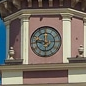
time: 11:46
